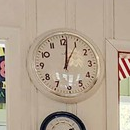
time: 1:01
